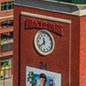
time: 11:38
